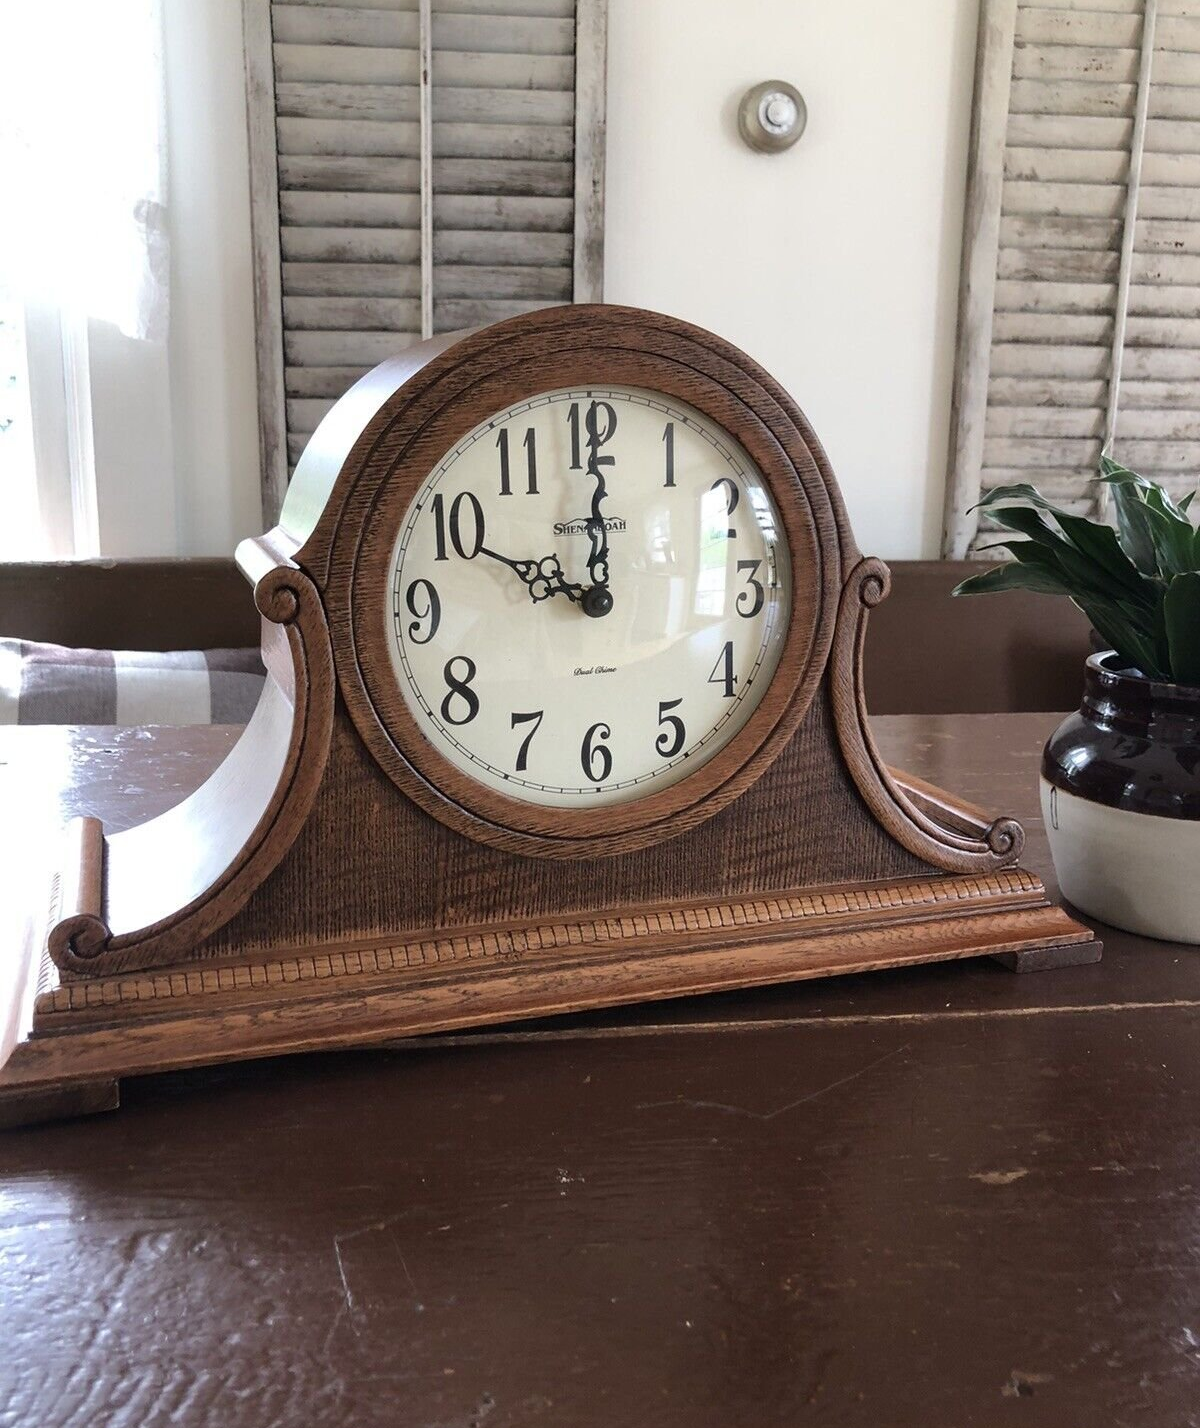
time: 10:00
